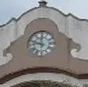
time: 11:47
